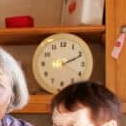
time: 2:11
